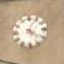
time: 4:04
